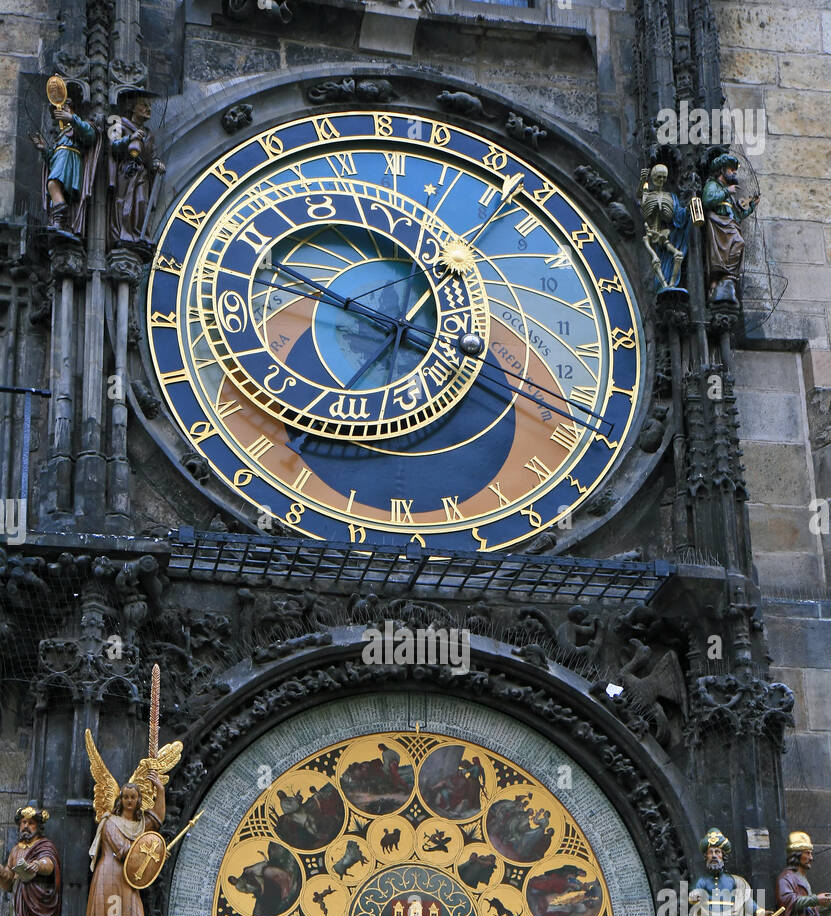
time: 3:48
